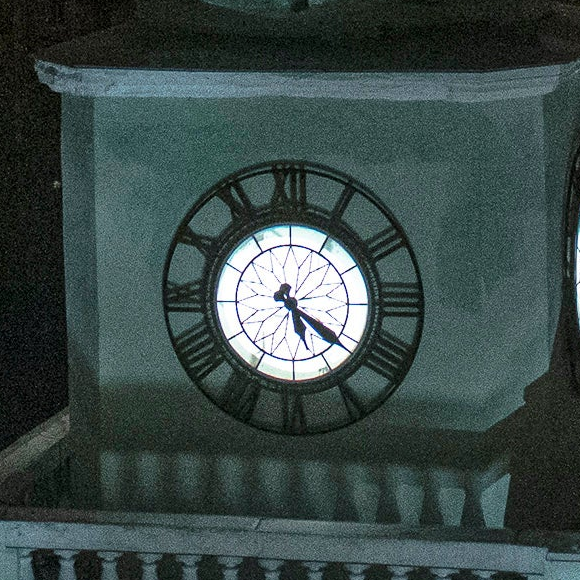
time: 5:21
